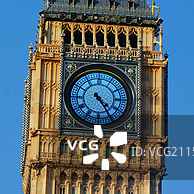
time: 4:24
